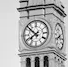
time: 7:51
